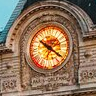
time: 10:20
